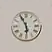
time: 5:55
